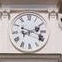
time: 2:18
